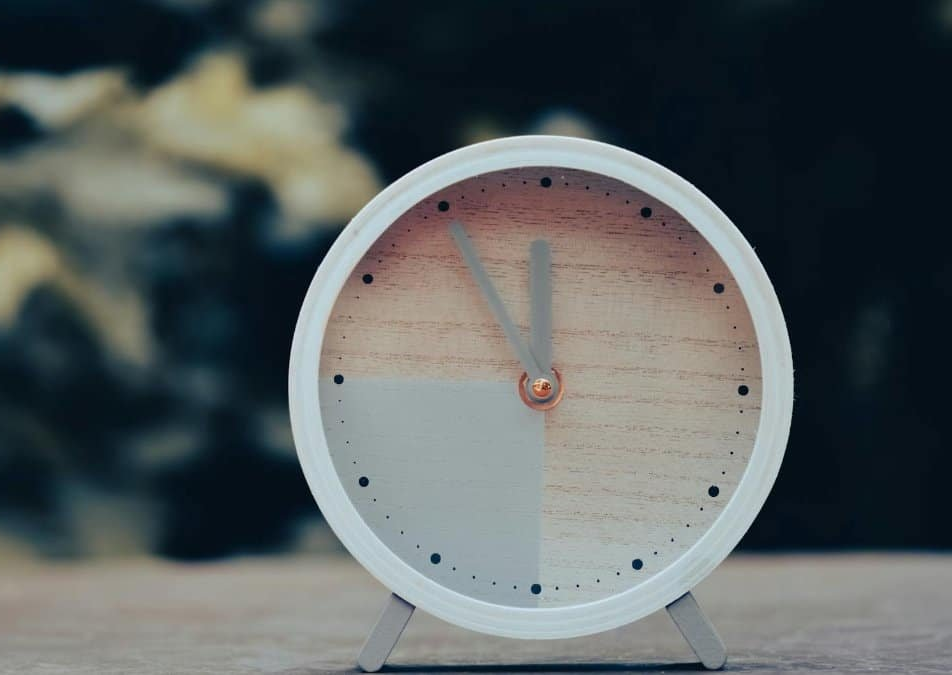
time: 11:55
